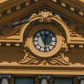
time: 12:28
